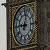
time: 9:01
